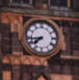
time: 7:43
